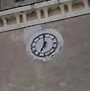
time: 6:59
